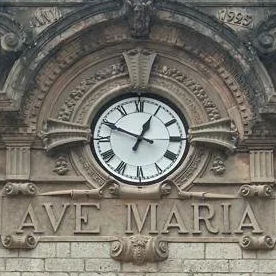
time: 12:49
